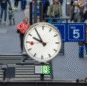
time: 9:54
